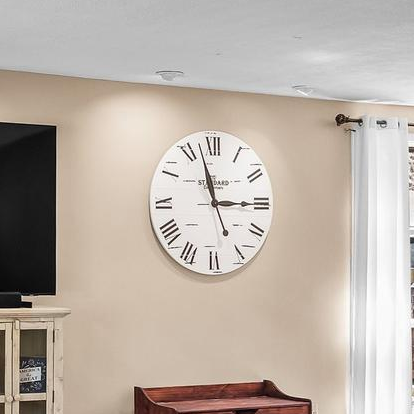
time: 2:57
